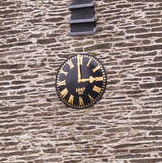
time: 2:59
